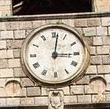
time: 3:01
